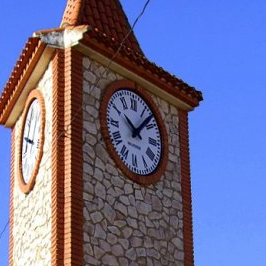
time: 10:07
